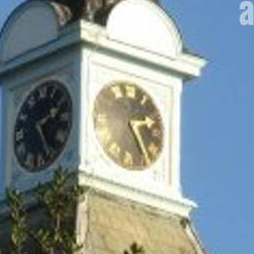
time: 2:24
